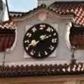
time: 8:11
